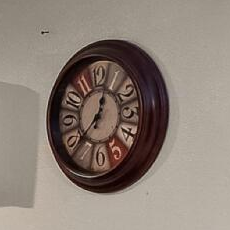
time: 12:37
